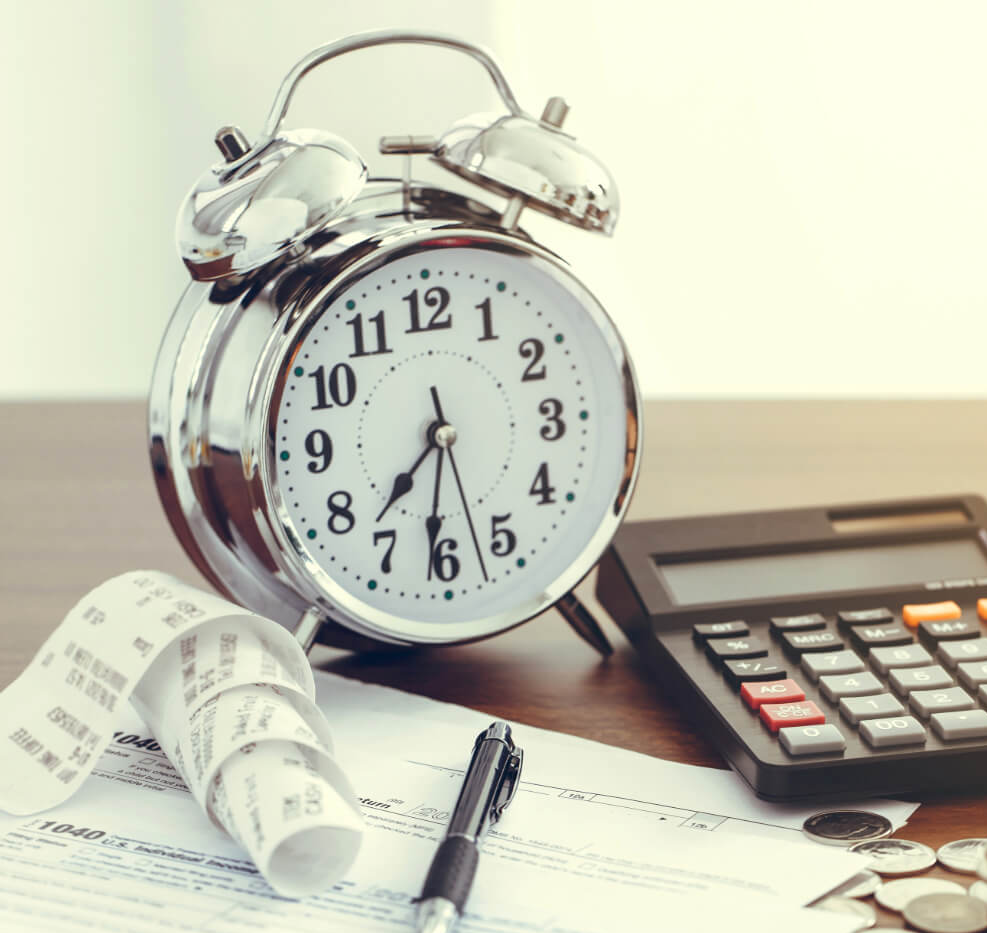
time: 7:31
